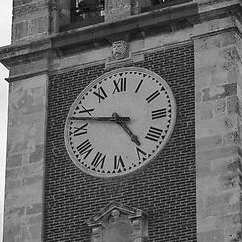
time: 4:47
